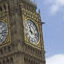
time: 11:17
